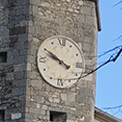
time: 9:50
